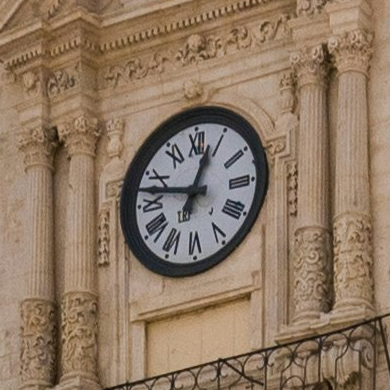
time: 12:47
